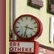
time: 3:32
